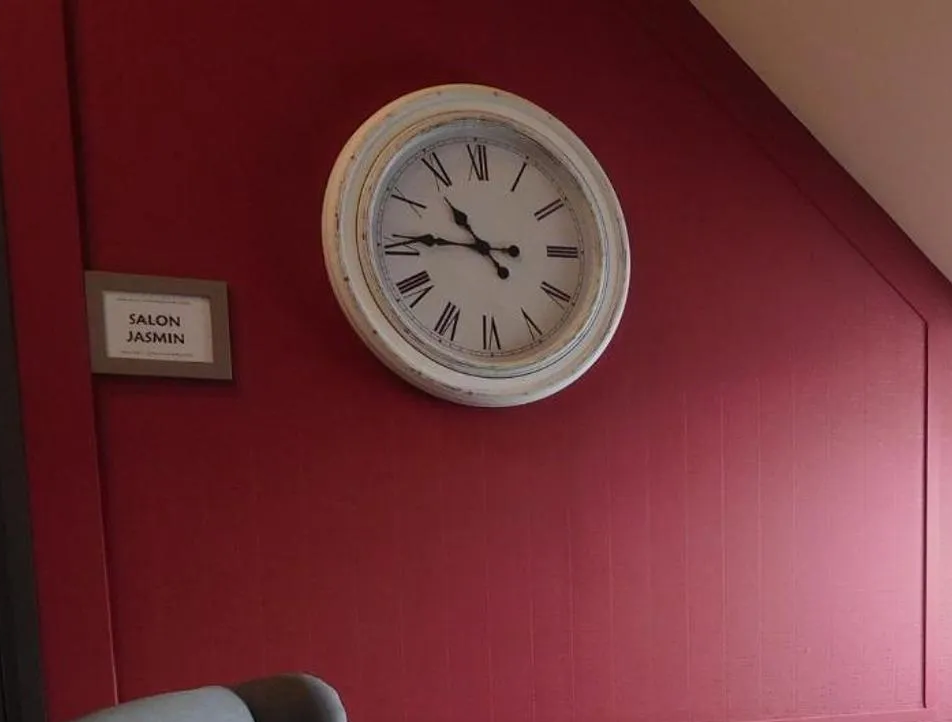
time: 10:45
